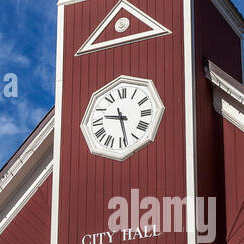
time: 9:28
